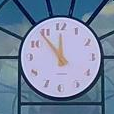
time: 11:53
